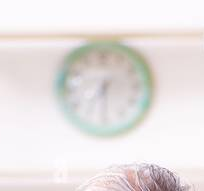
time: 7:30
